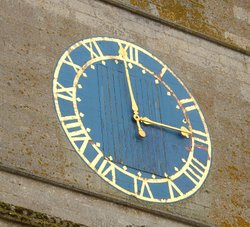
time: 2:59
